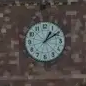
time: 1:09
